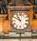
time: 10:50
